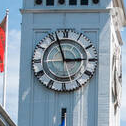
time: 2:56
